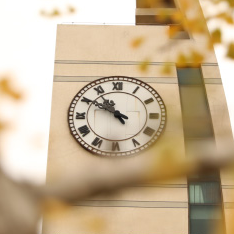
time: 10:50
